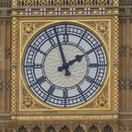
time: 1:57
